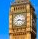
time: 8:17
